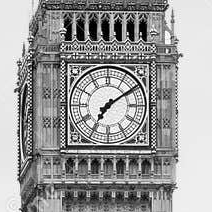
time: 7:09
